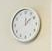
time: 12:08
